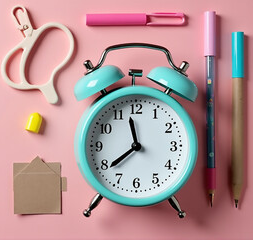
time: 11:38
